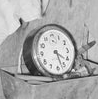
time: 4:27
